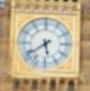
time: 5:39
